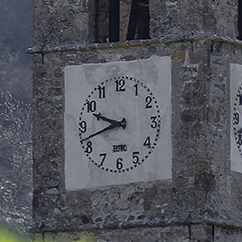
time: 9:42
